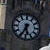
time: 5:34
